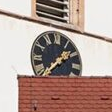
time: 1:37
